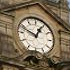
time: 12:48
